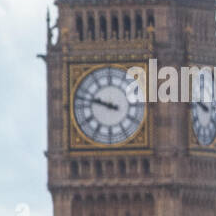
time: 9:47
